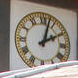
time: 2:02
